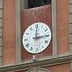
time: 3:00
